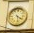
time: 4:28
